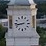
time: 8:43
